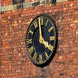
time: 3:58
